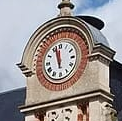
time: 11:57
